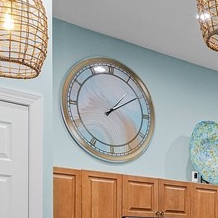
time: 1:09
